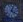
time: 4:03
